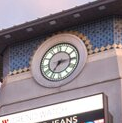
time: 7:15
